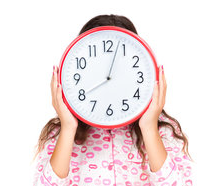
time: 8:03
